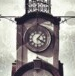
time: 4:06
